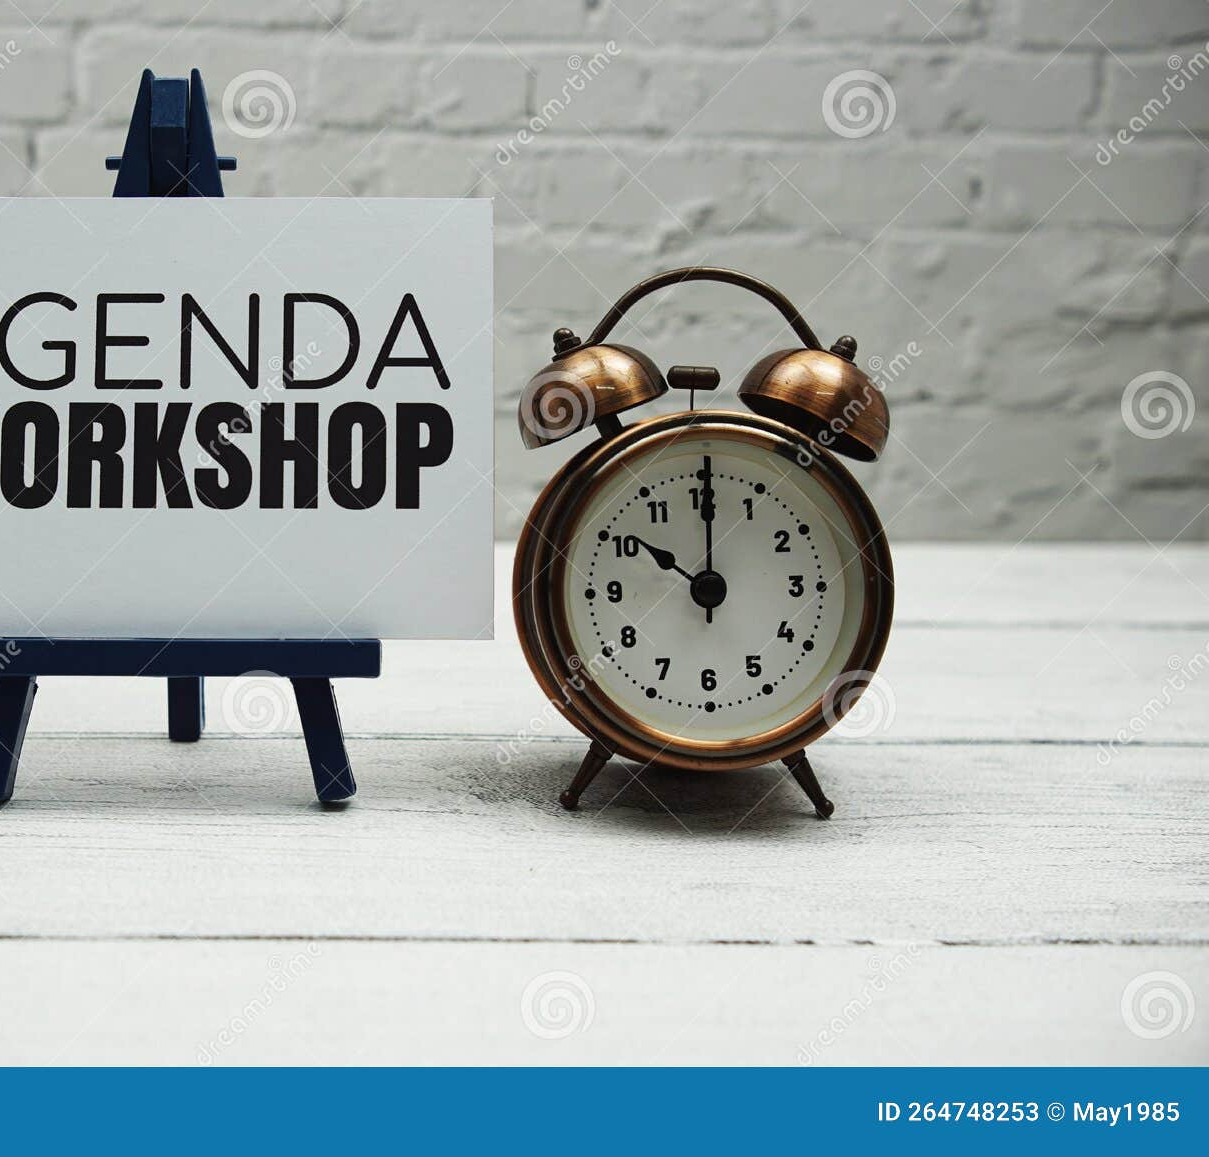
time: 10:00
